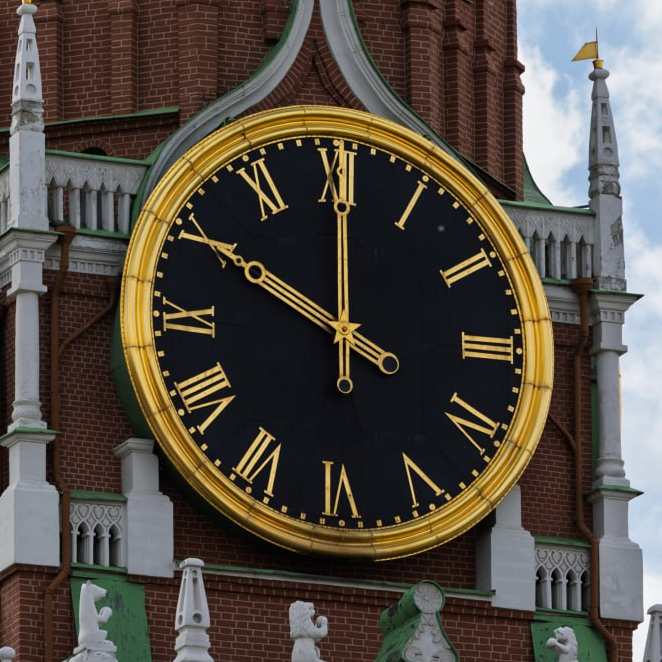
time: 10:00
